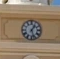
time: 1:27
